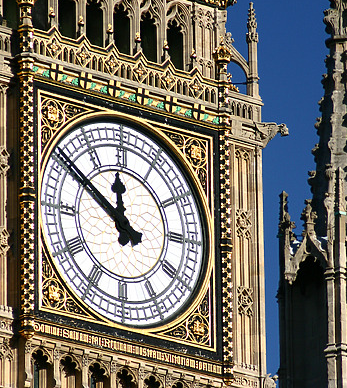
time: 11:50
